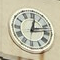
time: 12:12
